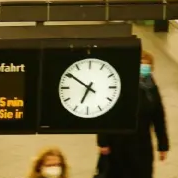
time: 6:50
